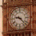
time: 9:22
